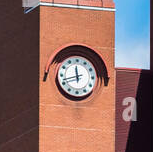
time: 11:42
